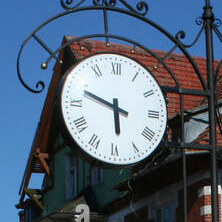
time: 5:48
